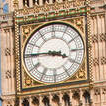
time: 3:45
